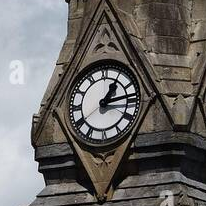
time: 1:13
